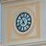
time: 7:55
